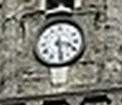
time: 3:28
